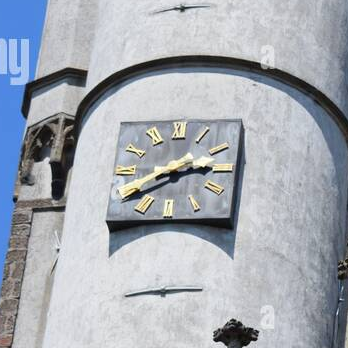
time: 2:40
